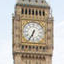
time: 6:34
